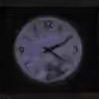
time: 2:21
